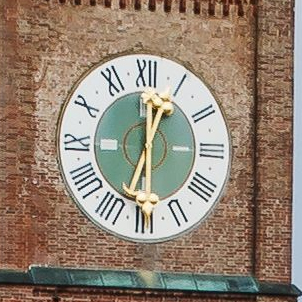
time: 12:03
